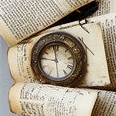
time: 11:46
